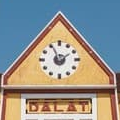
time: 1:56
